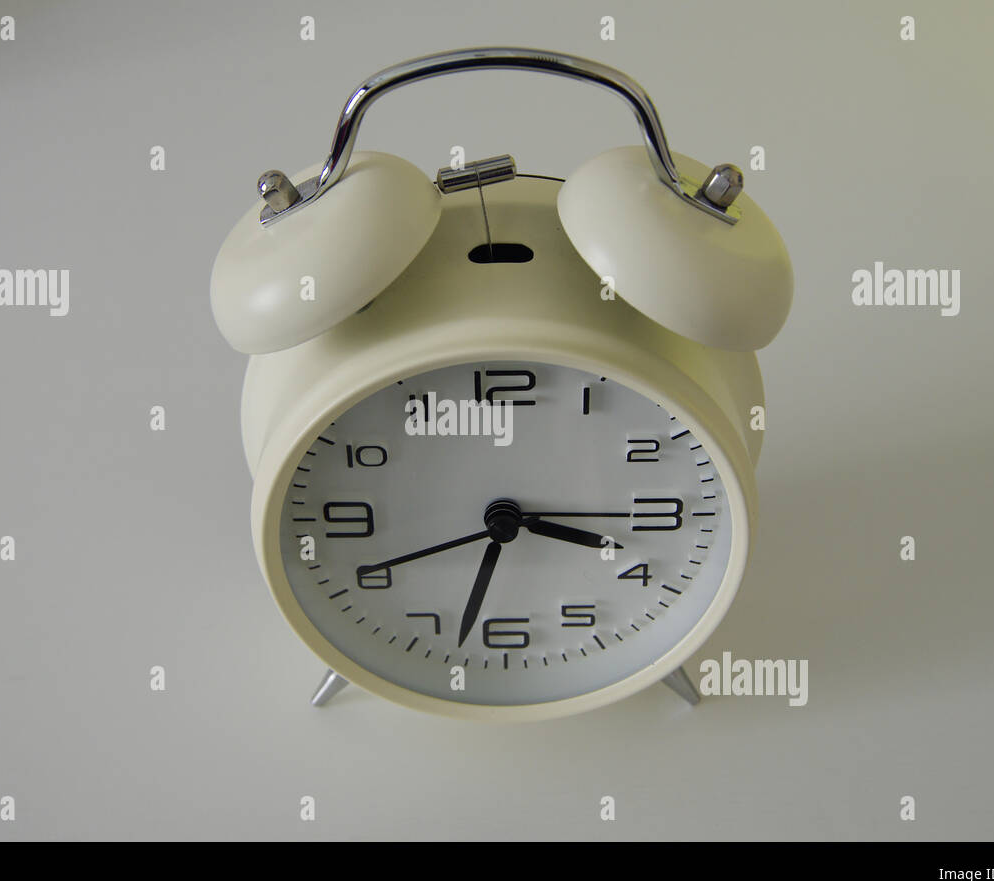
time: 3:32
